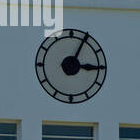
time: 3:04
